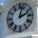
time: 2:02
